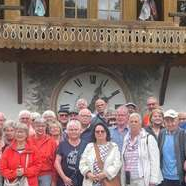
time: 2:03
